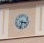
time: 3:32
